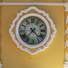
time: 4:36
